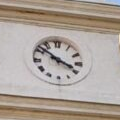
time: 3:51
